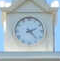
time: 2:22
